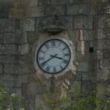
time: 3:40
